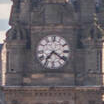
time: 7:21
